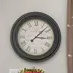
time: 3:07
